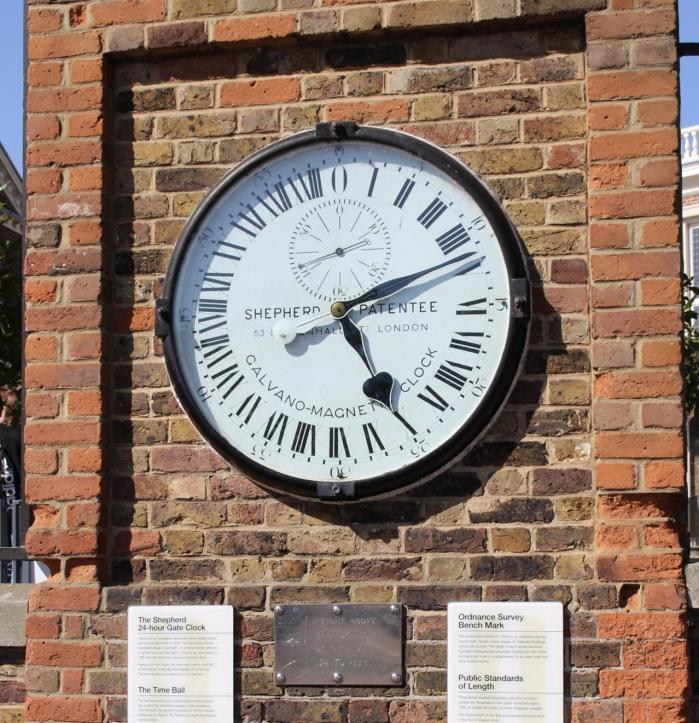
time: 5:11
